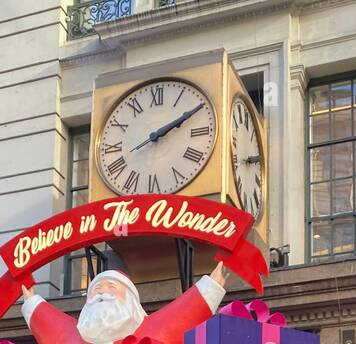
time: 2:10
